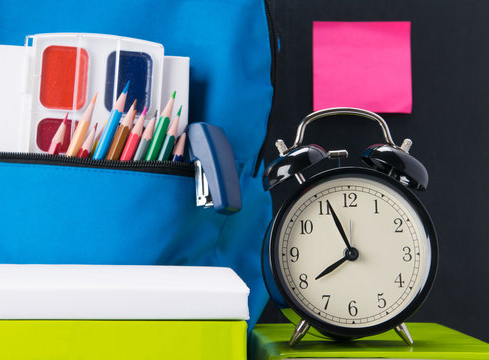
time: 7:56
